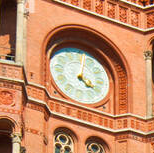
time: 4:01
